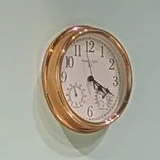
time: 4:19
